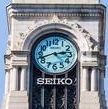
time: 2:41
